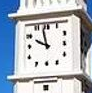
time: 9:57
